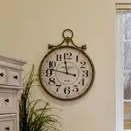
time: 11:46
